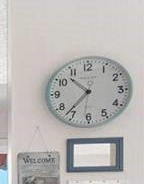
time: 10:36
